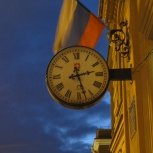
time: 2:27
